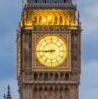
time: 8:44
